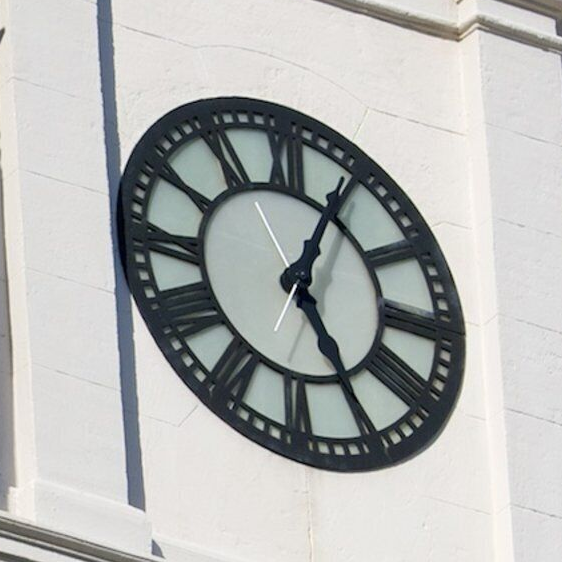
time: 5:04
